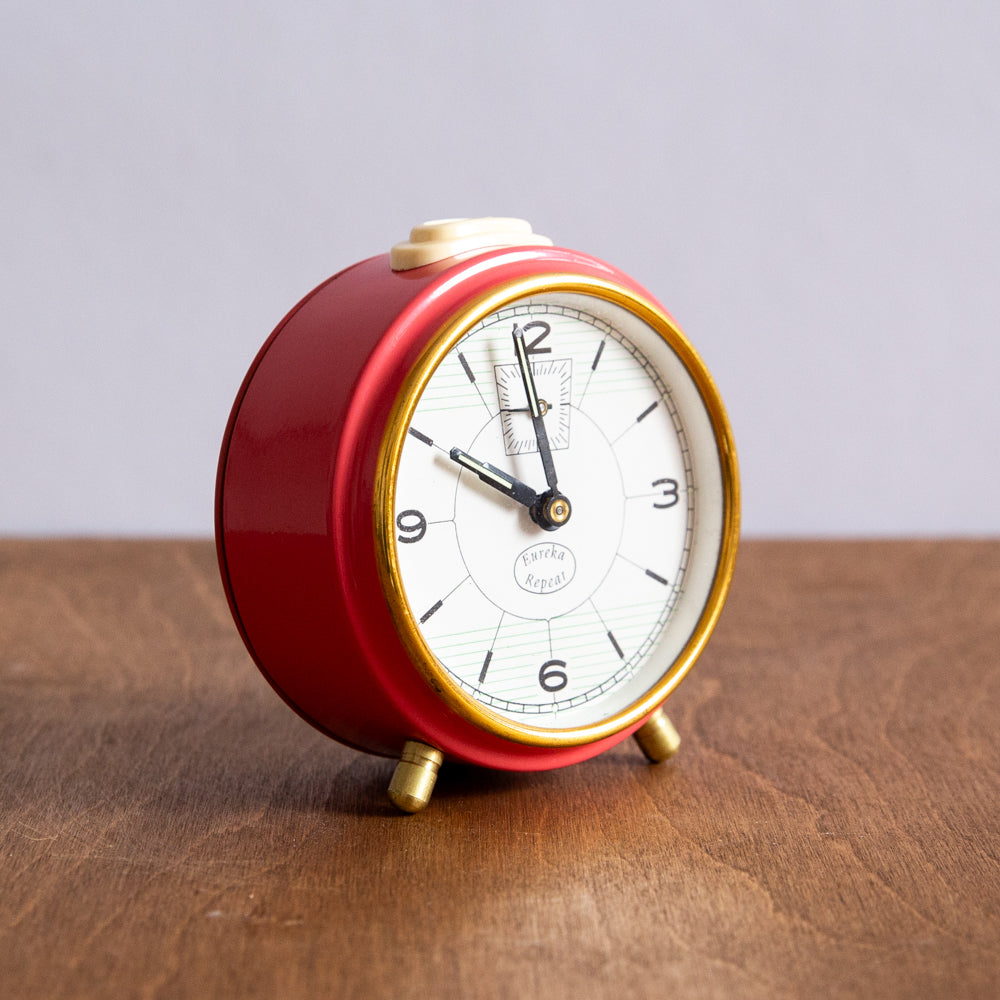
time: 9:58
